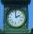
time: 1:59
